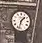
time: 1:32
